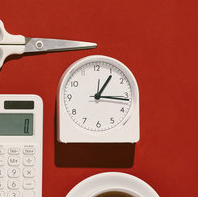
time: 1:16
